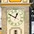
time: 12:49
